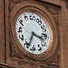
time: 3:34
